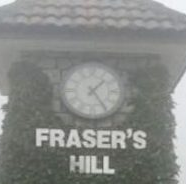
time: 1:24
